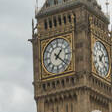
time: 1:21
